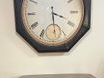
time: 3:29
